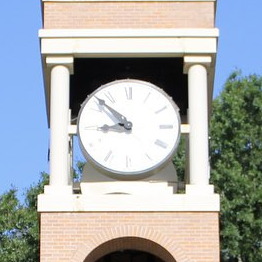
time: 8:52
